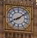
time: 8:08
